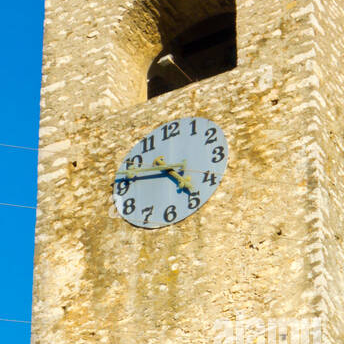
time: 4:46
